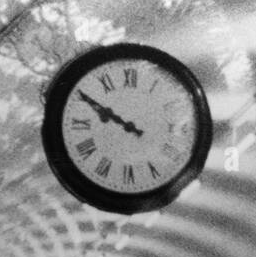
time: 9:50
